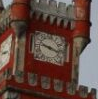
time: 9:17
